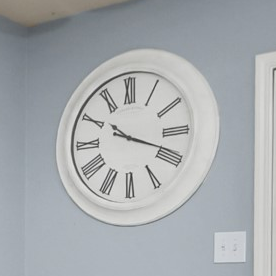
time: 10:18
